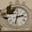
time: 2:32
